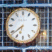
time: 6:38
